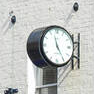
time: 11:24
